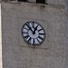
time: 12:53
